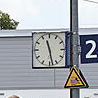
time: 11:28
